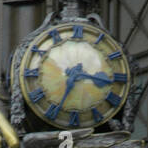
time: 3:34
